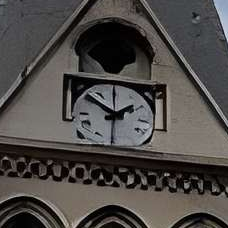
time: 1:51
